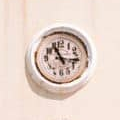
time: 11:16
